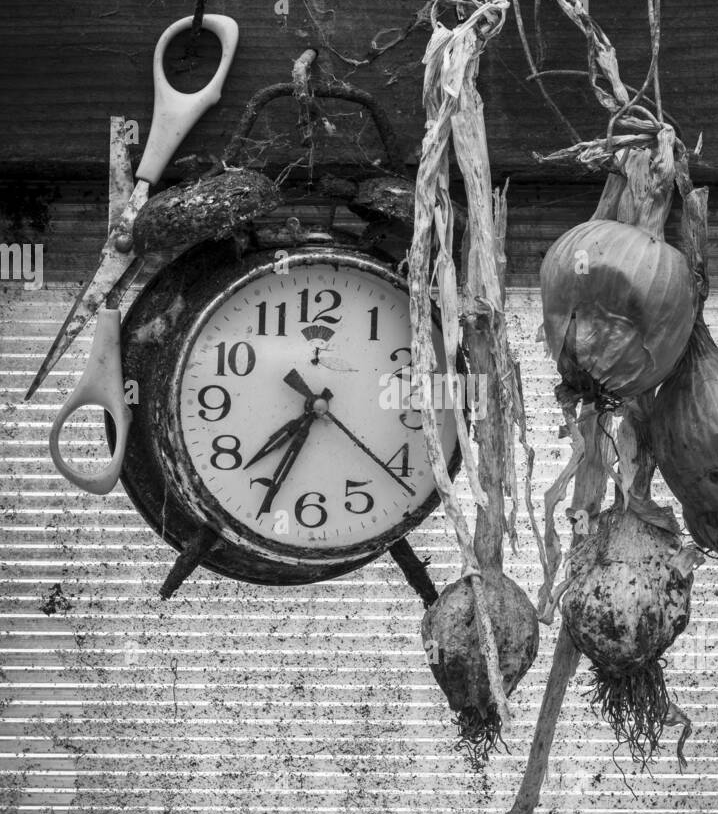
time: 7:34
